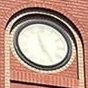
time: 4:57
